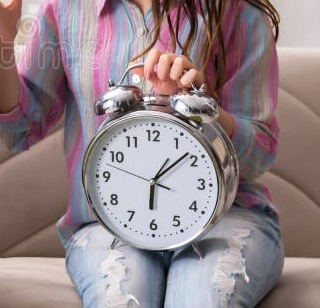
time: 6:08
